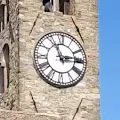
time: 2:56
